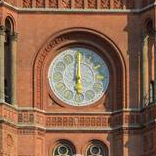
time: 6:00
